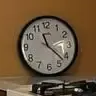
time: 11:22
